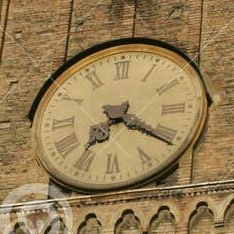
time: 7:20
